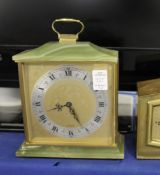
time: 8:25
